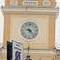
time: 9:23
